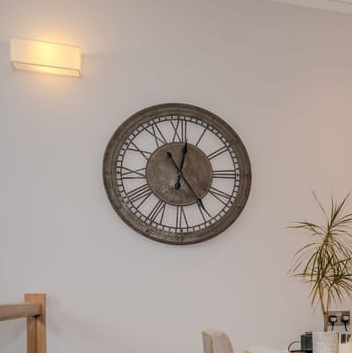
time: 12:24
